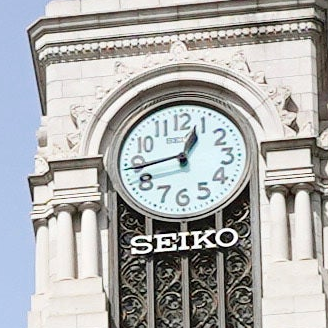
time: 12:43
